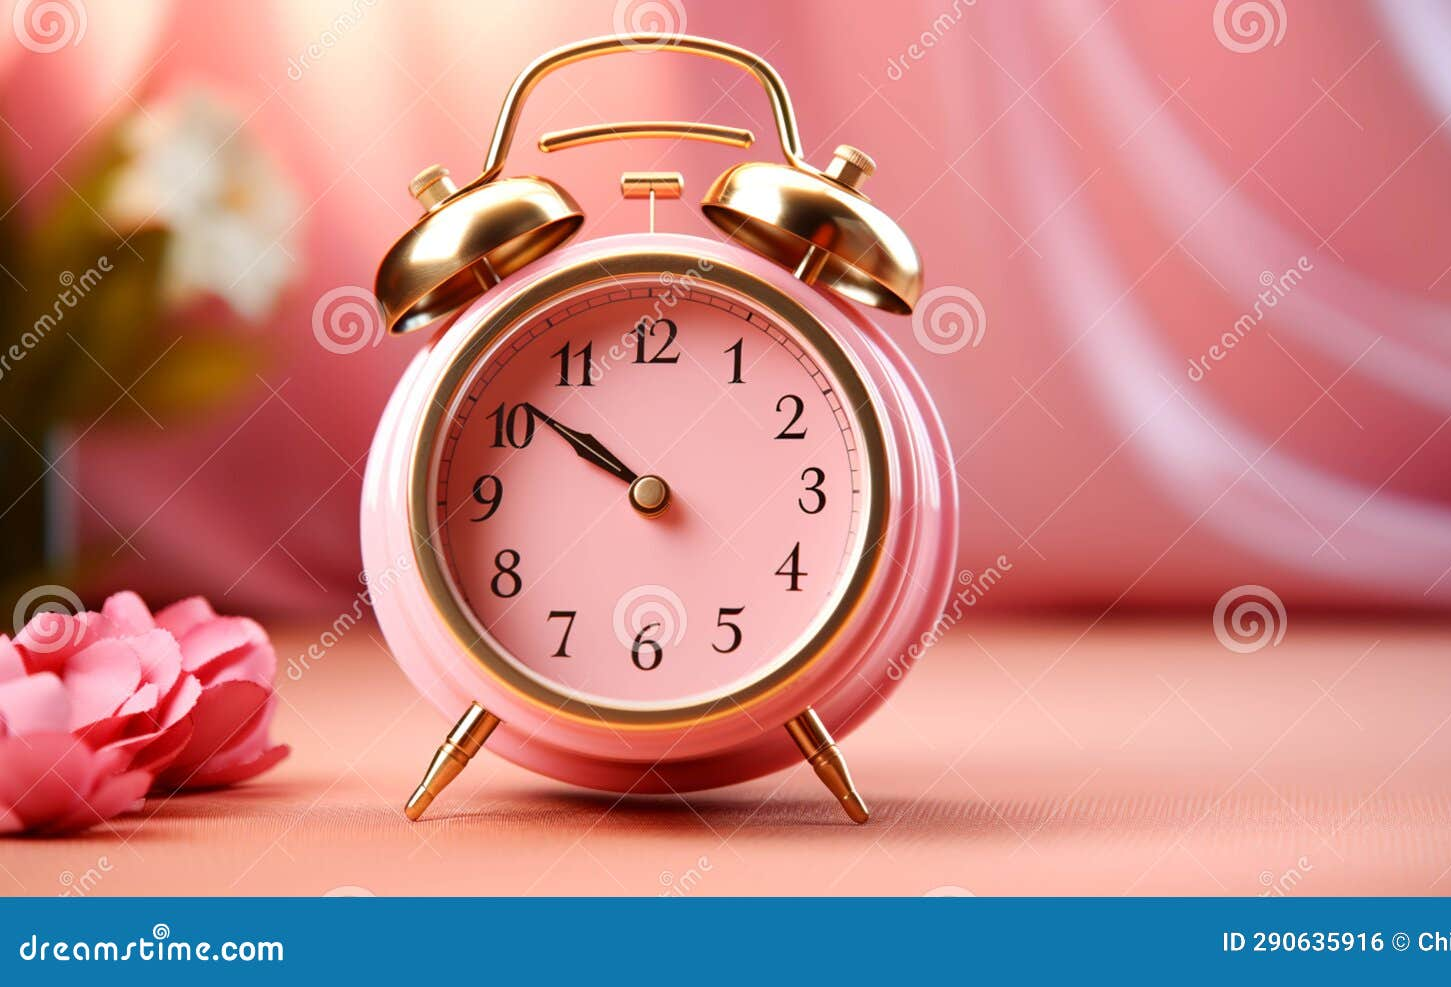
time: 9:51
